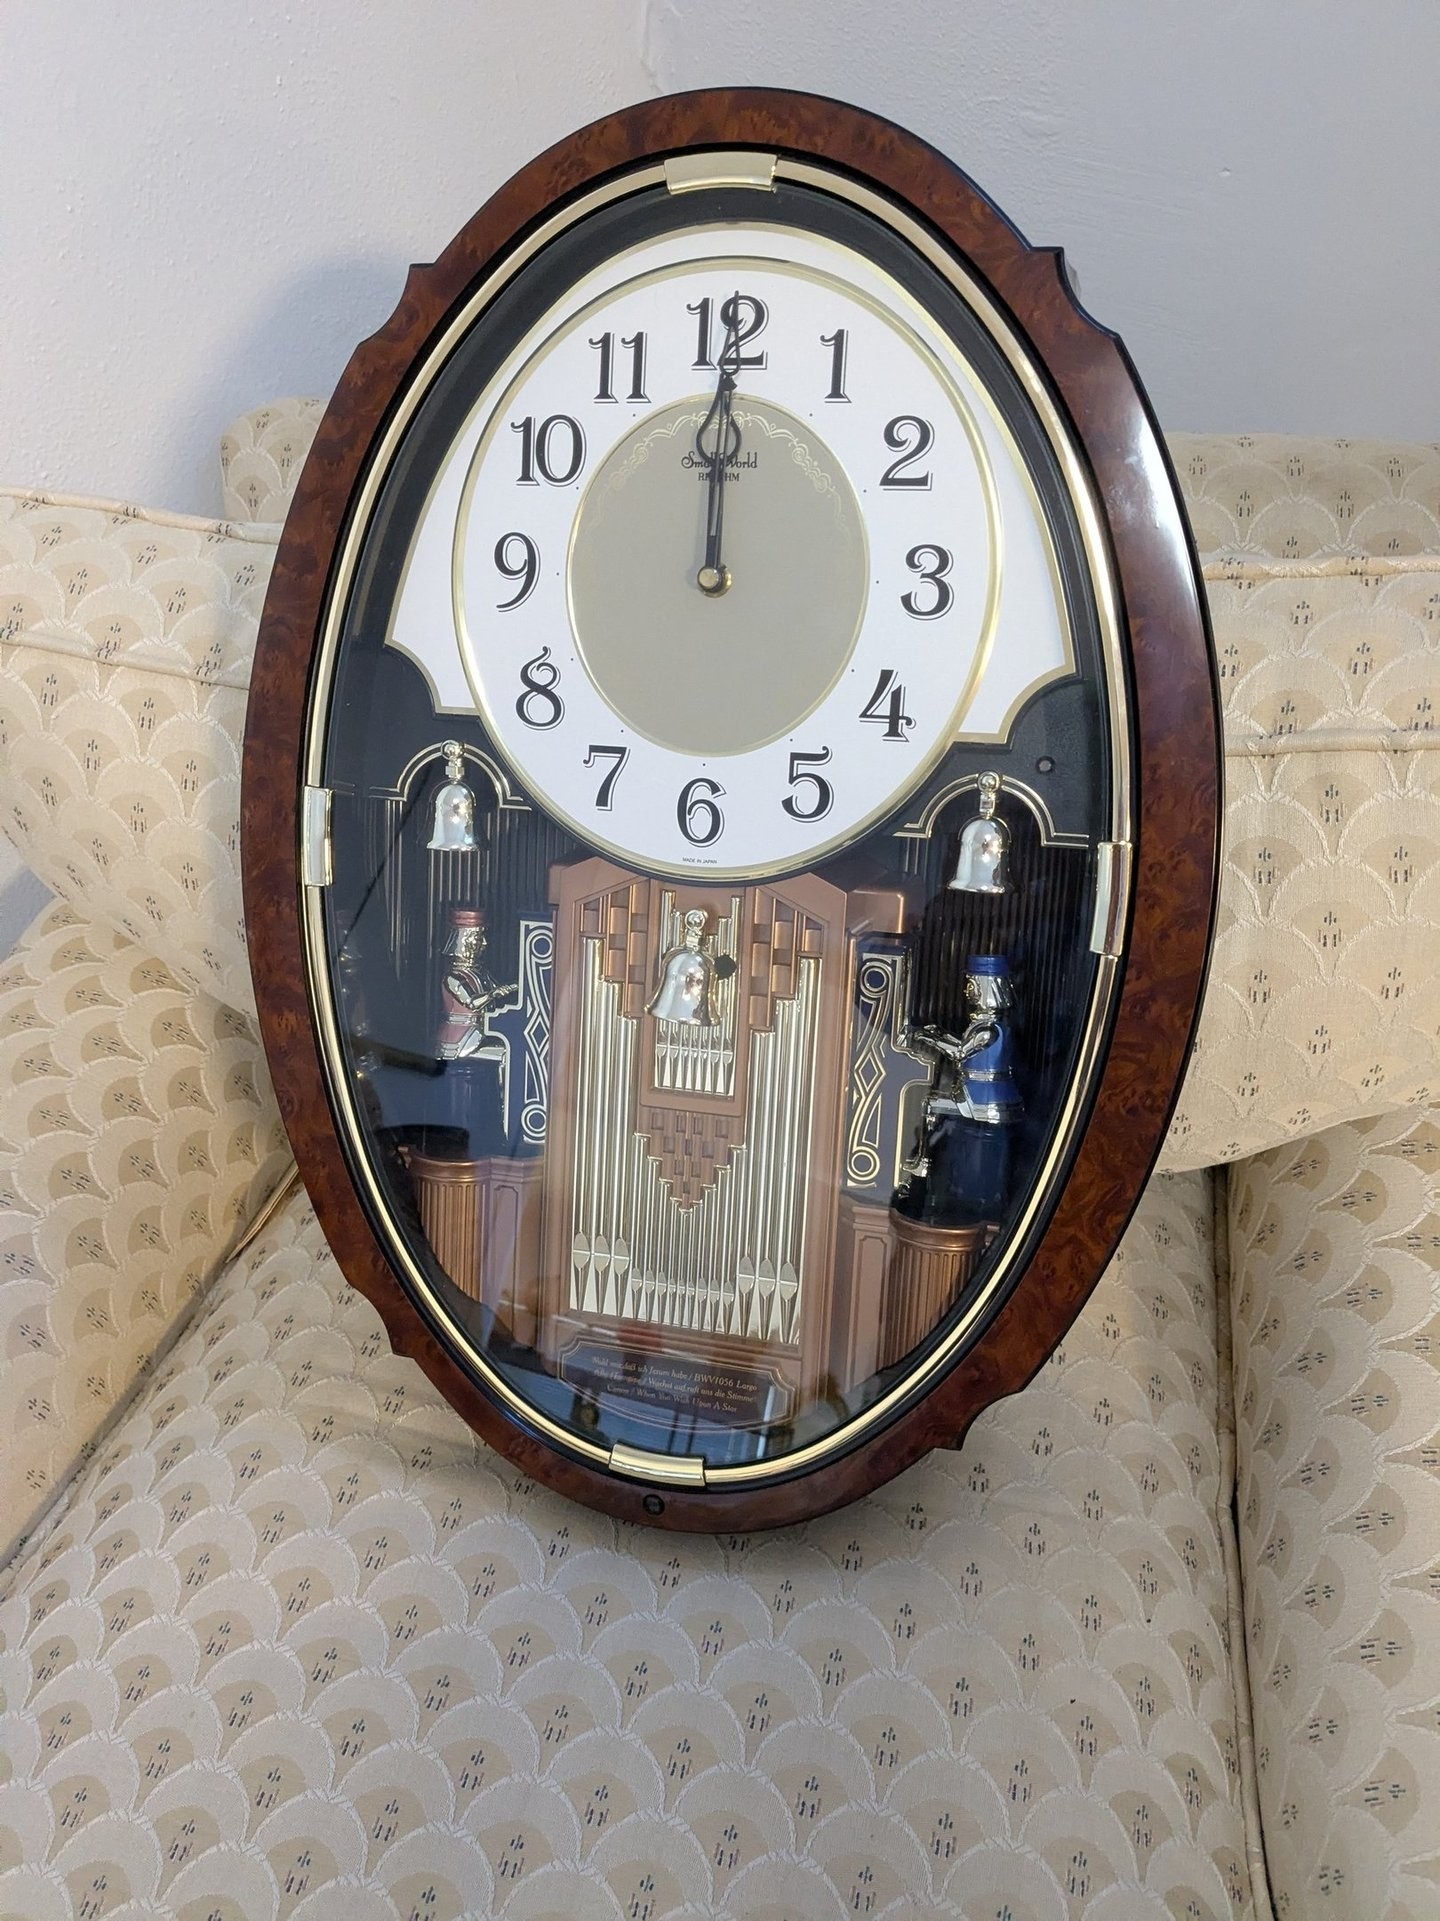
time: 12:00
